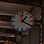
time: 1:20
